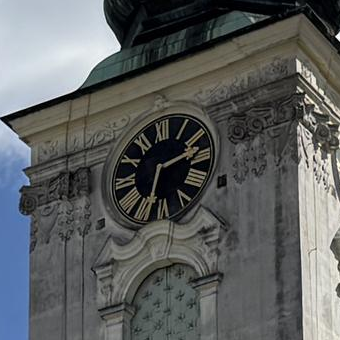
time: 2:33
